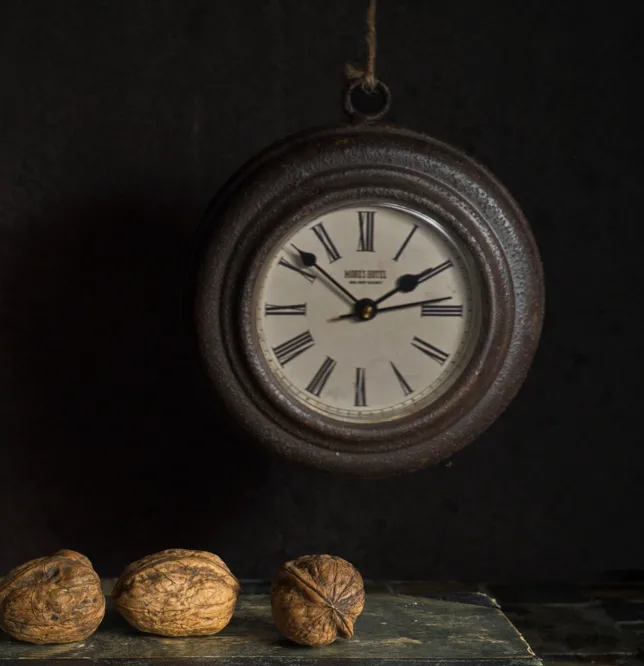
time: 1:51
